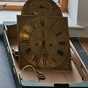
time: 5:33
